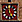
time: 4:59
